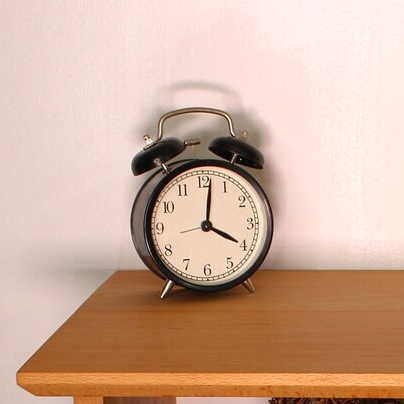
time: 4:01
